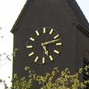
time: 5:12
